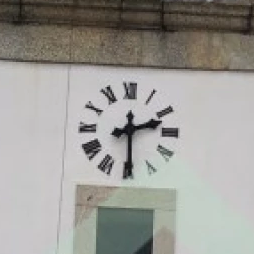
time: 2:29
